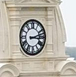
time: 3:12
